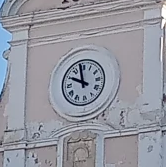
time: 9:58
